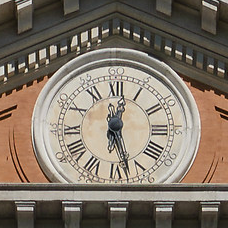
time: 12:27
